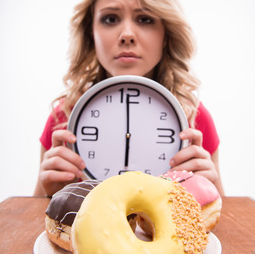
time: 5:59
